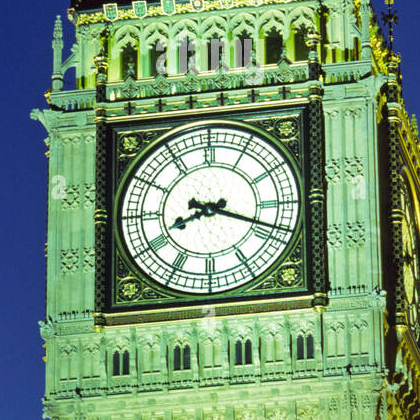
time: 8:18
